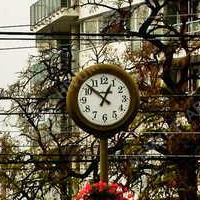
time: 12:52
